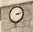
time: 3:12
